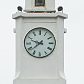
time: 9:38
